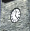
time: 12:23
